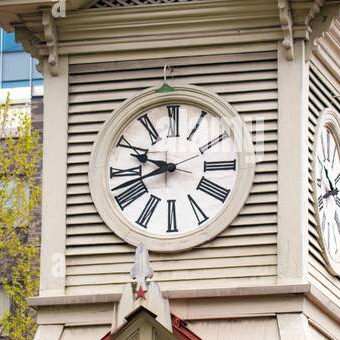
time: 9:42
